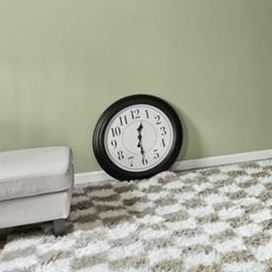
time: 12:30
